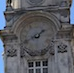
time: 1:40
